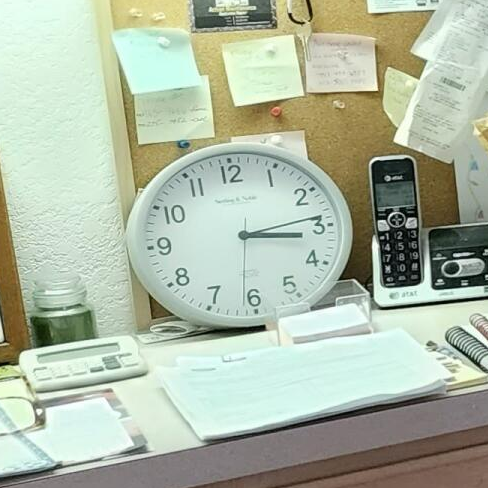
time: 3:13
